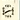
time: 8:12
